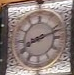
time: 8:12
